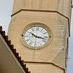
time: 10:17
